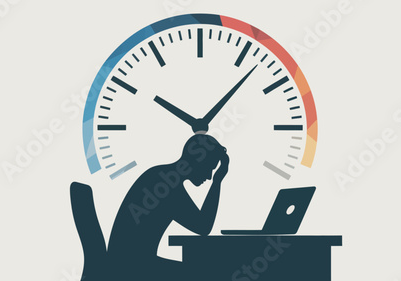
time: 10:07
